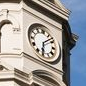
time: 6:08
